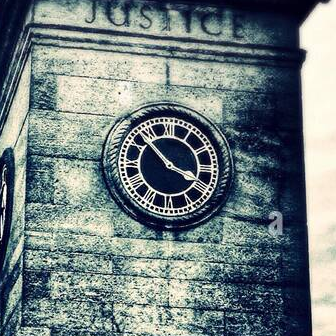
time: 3:52
